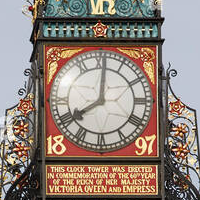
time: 8:00
